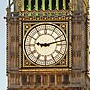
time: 9:12
